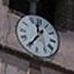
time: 11:35
